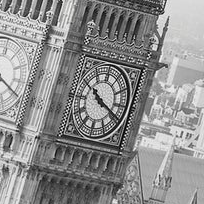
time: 10:19
